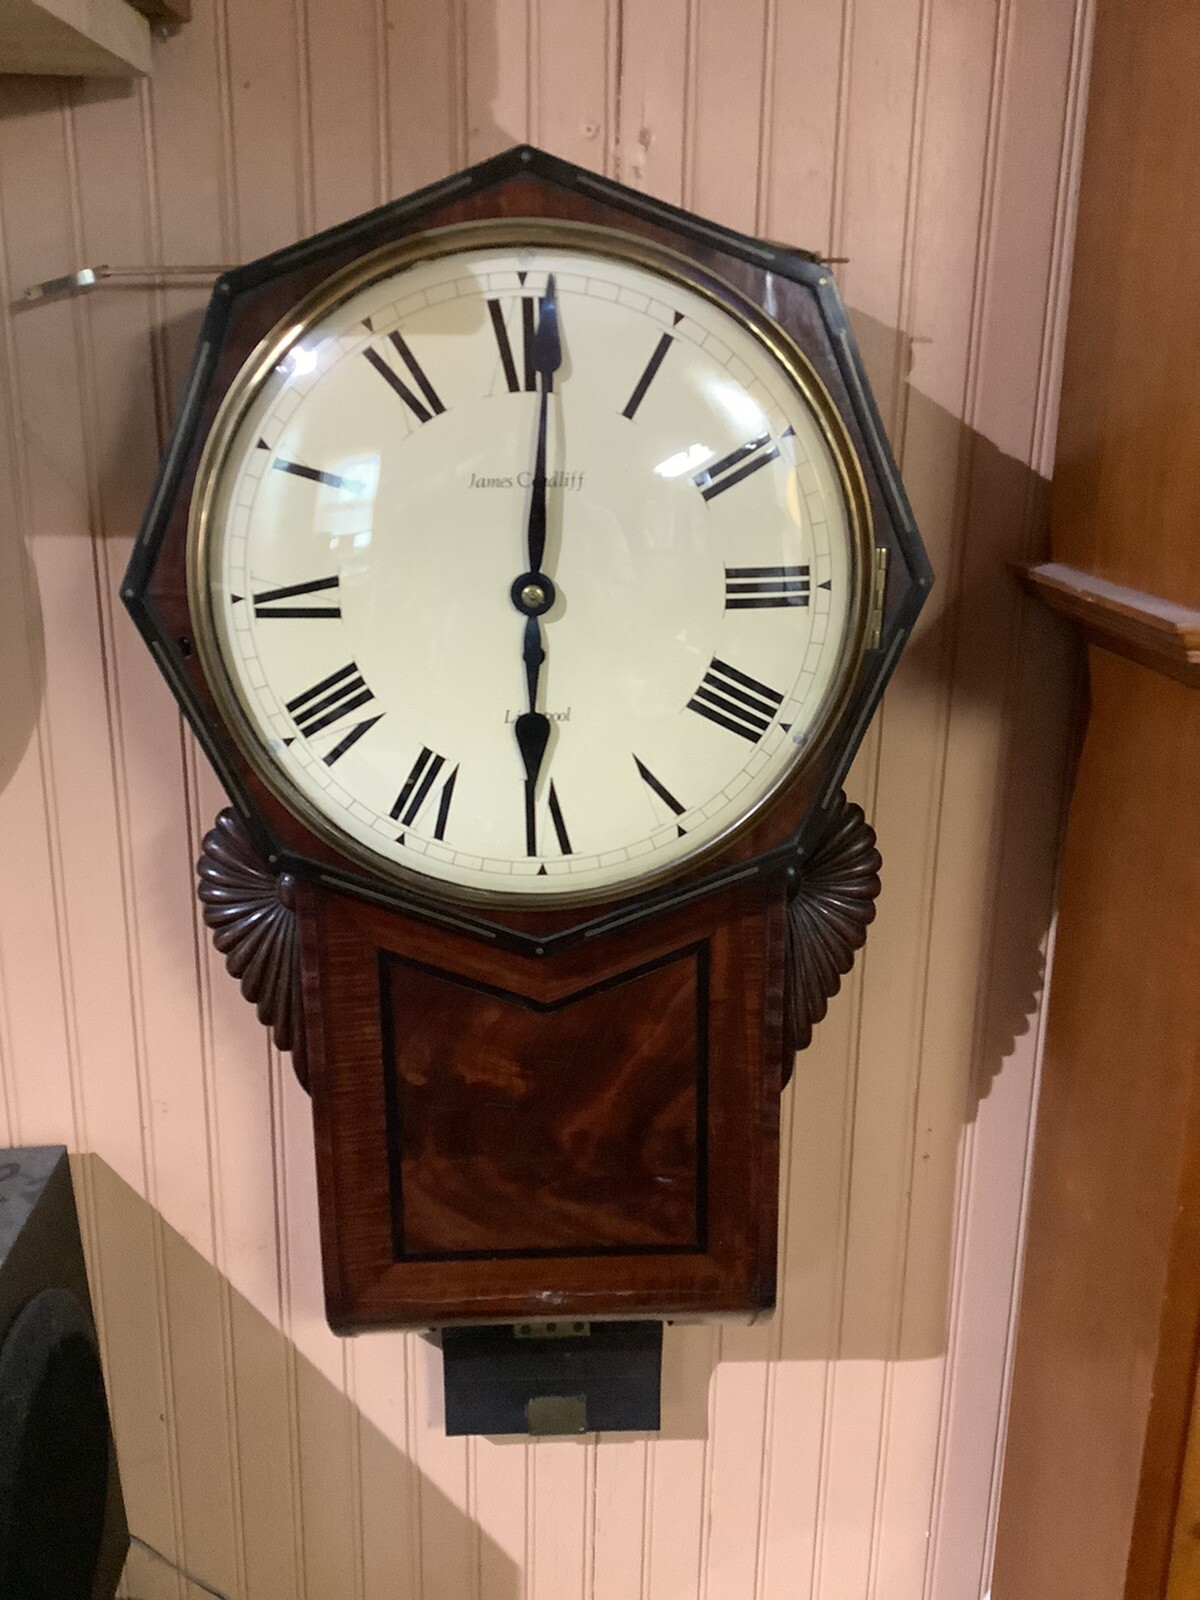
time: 6:00
